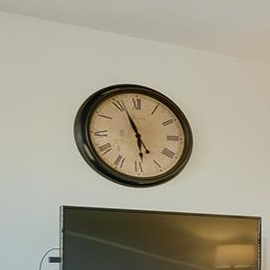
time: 5:56
